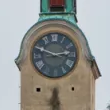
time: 2:48
